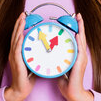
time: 12:55
